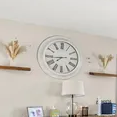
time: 7:43
